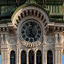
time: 12:24
